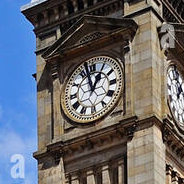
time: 12:57
